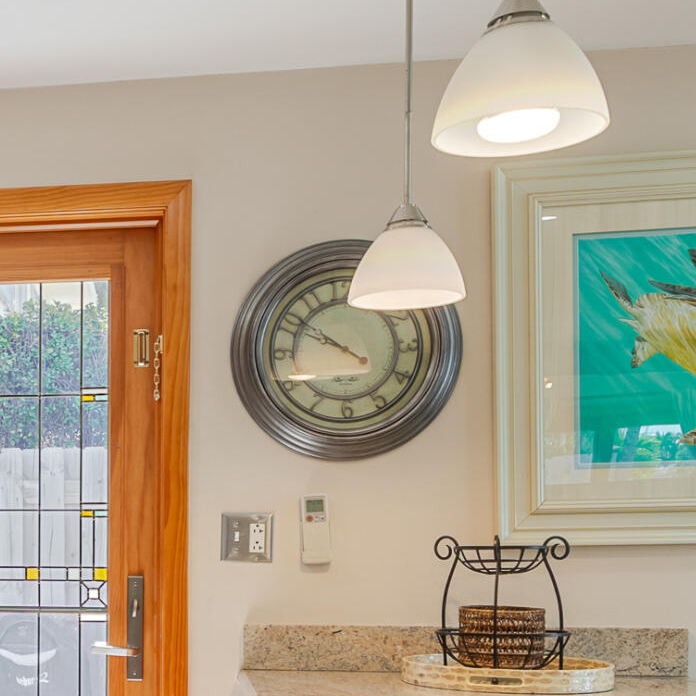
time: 9:50
